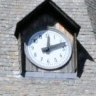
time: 12:12
